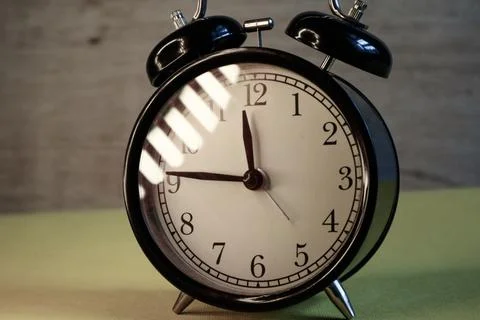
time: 11:46
